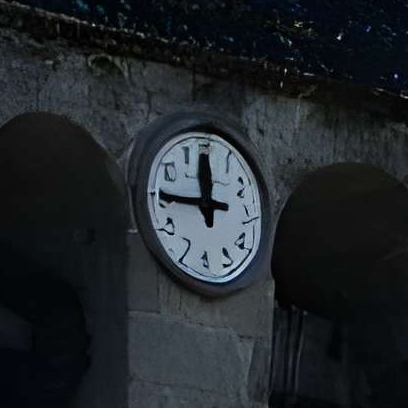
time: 11:45
